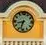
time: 8:33
